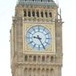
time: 9:25
